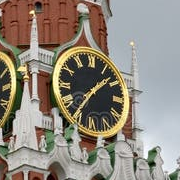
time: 1:36
